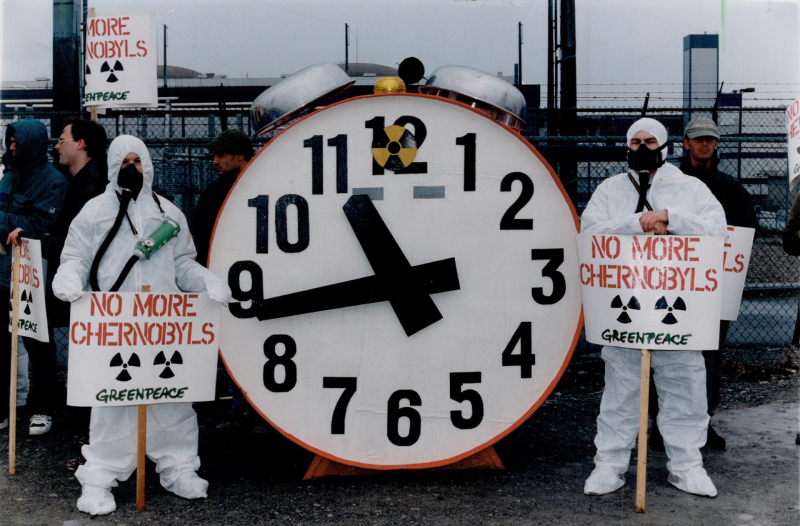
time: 10:43
